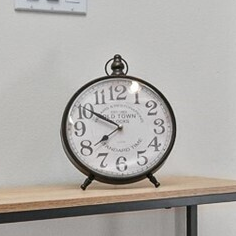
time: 7:50
